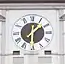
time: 1:30
